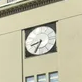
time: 8:34
